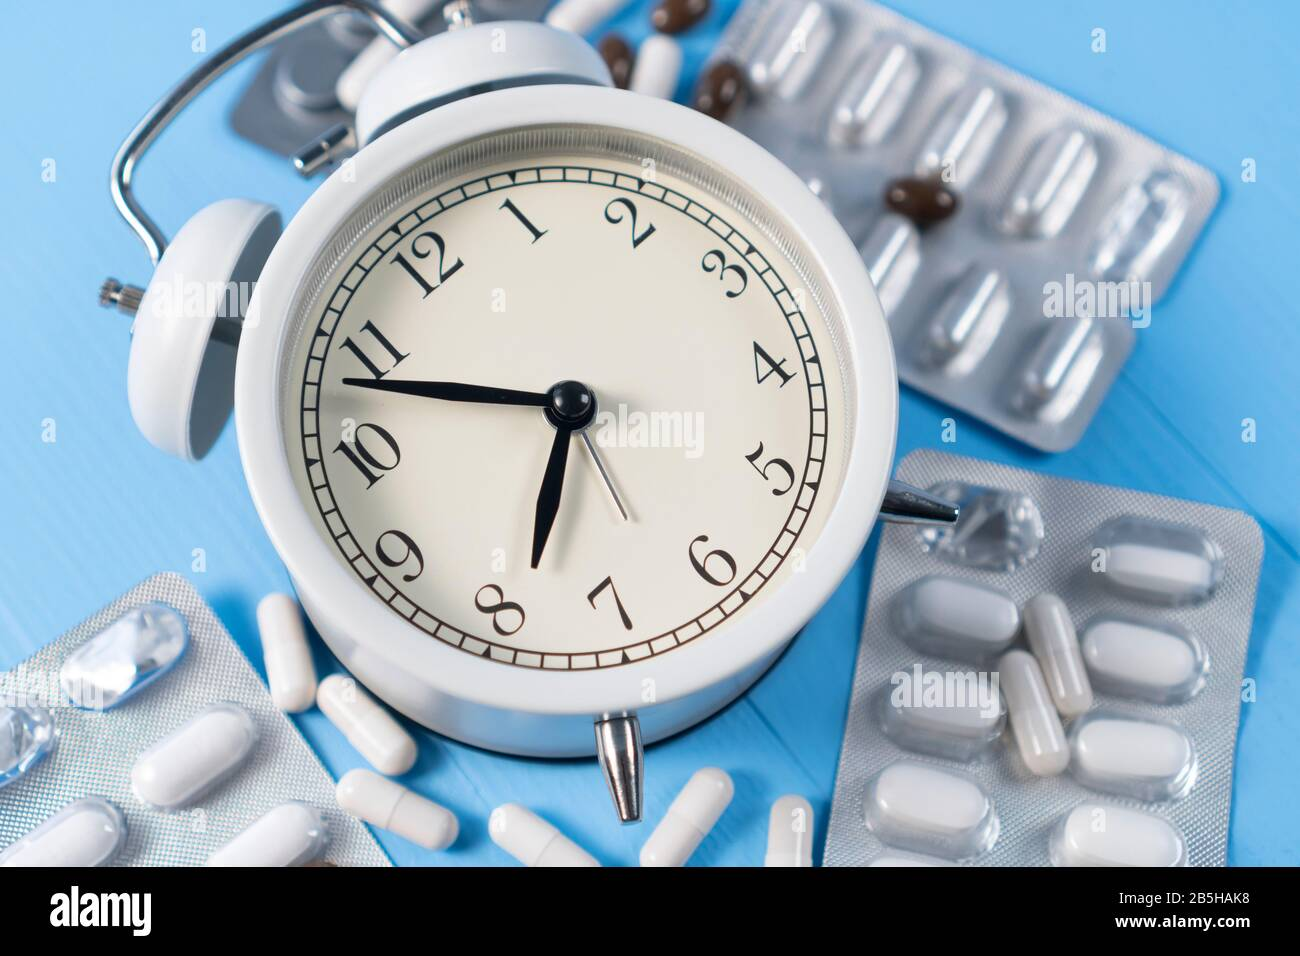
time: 6:48
